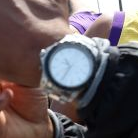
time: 10:34
